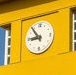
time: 8:53
